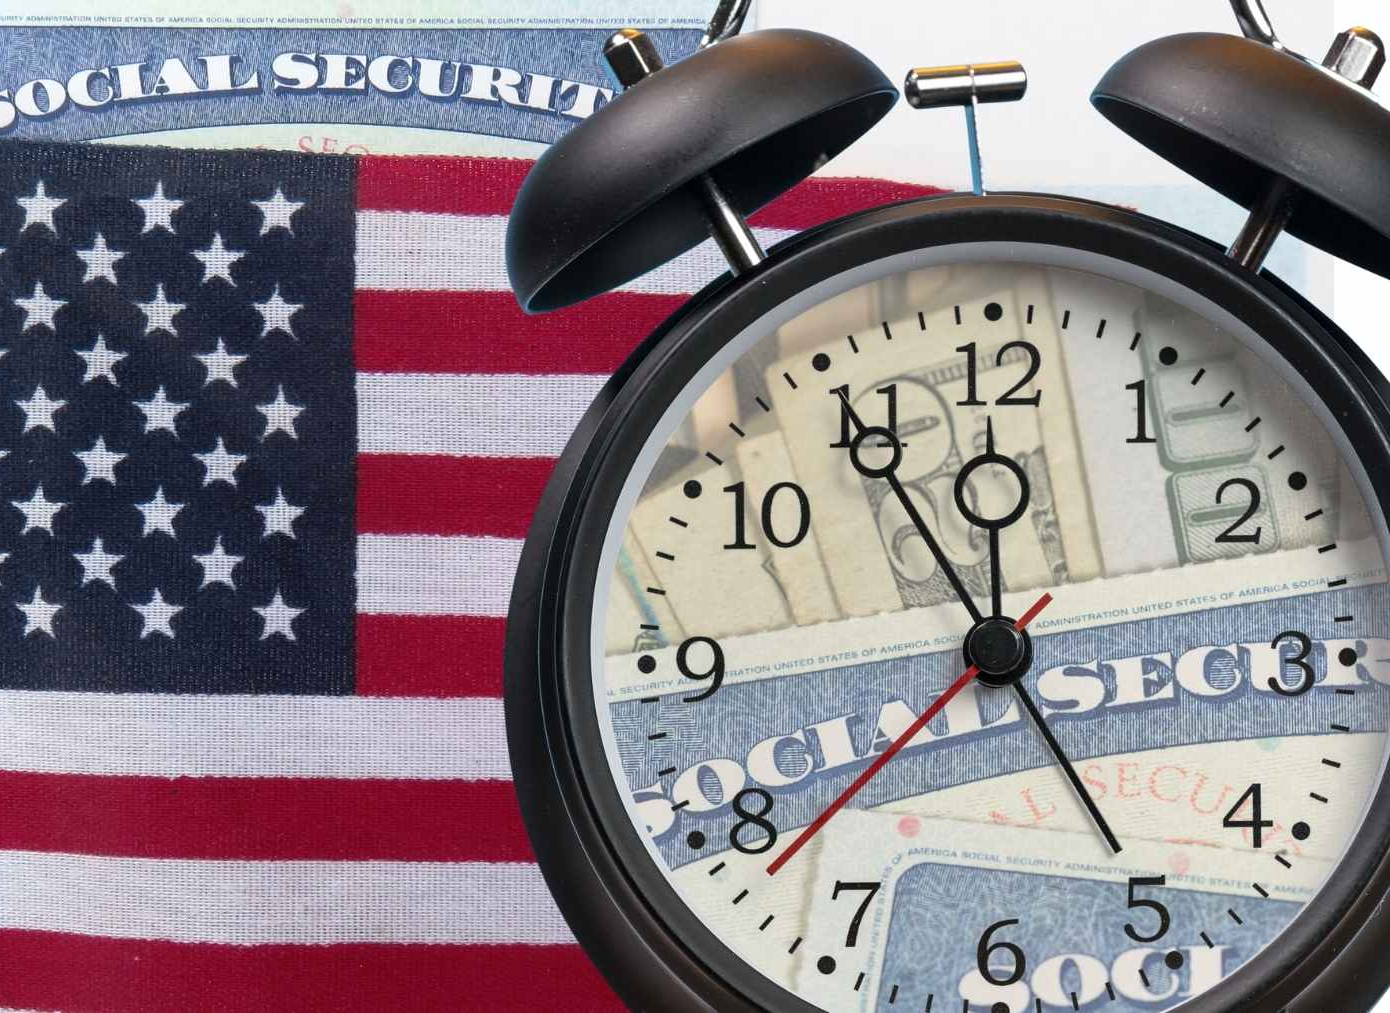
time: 4:54
